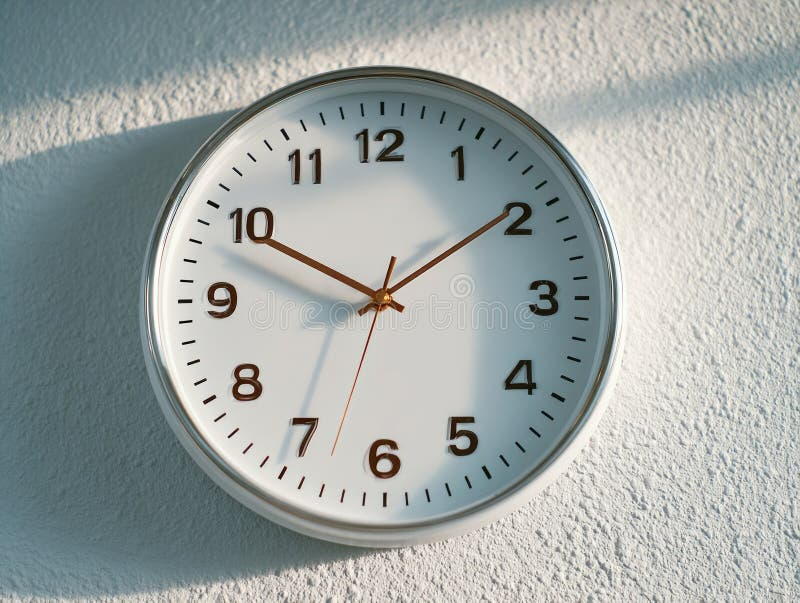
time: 1:49
